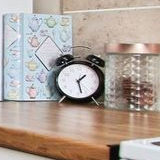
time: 1:28
